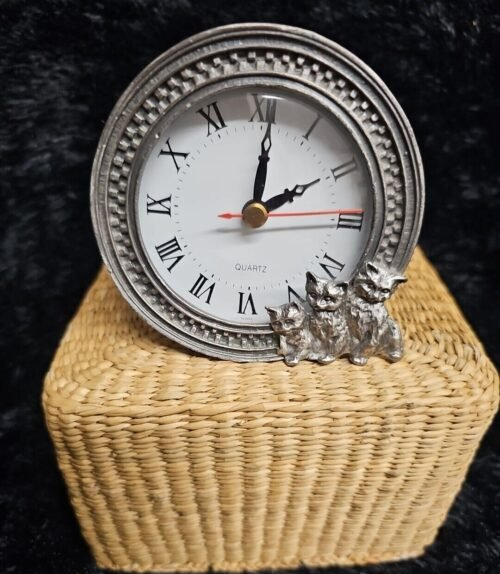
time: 2:01
